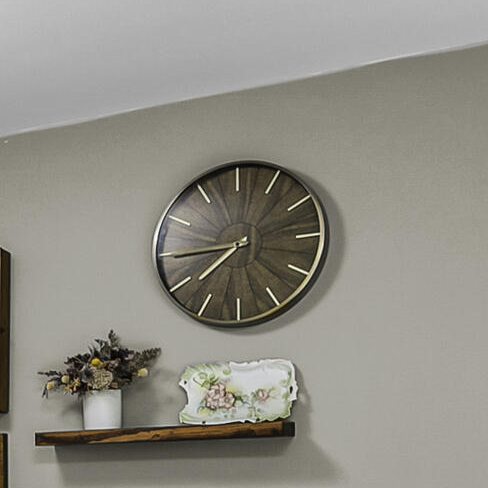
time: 7:44
